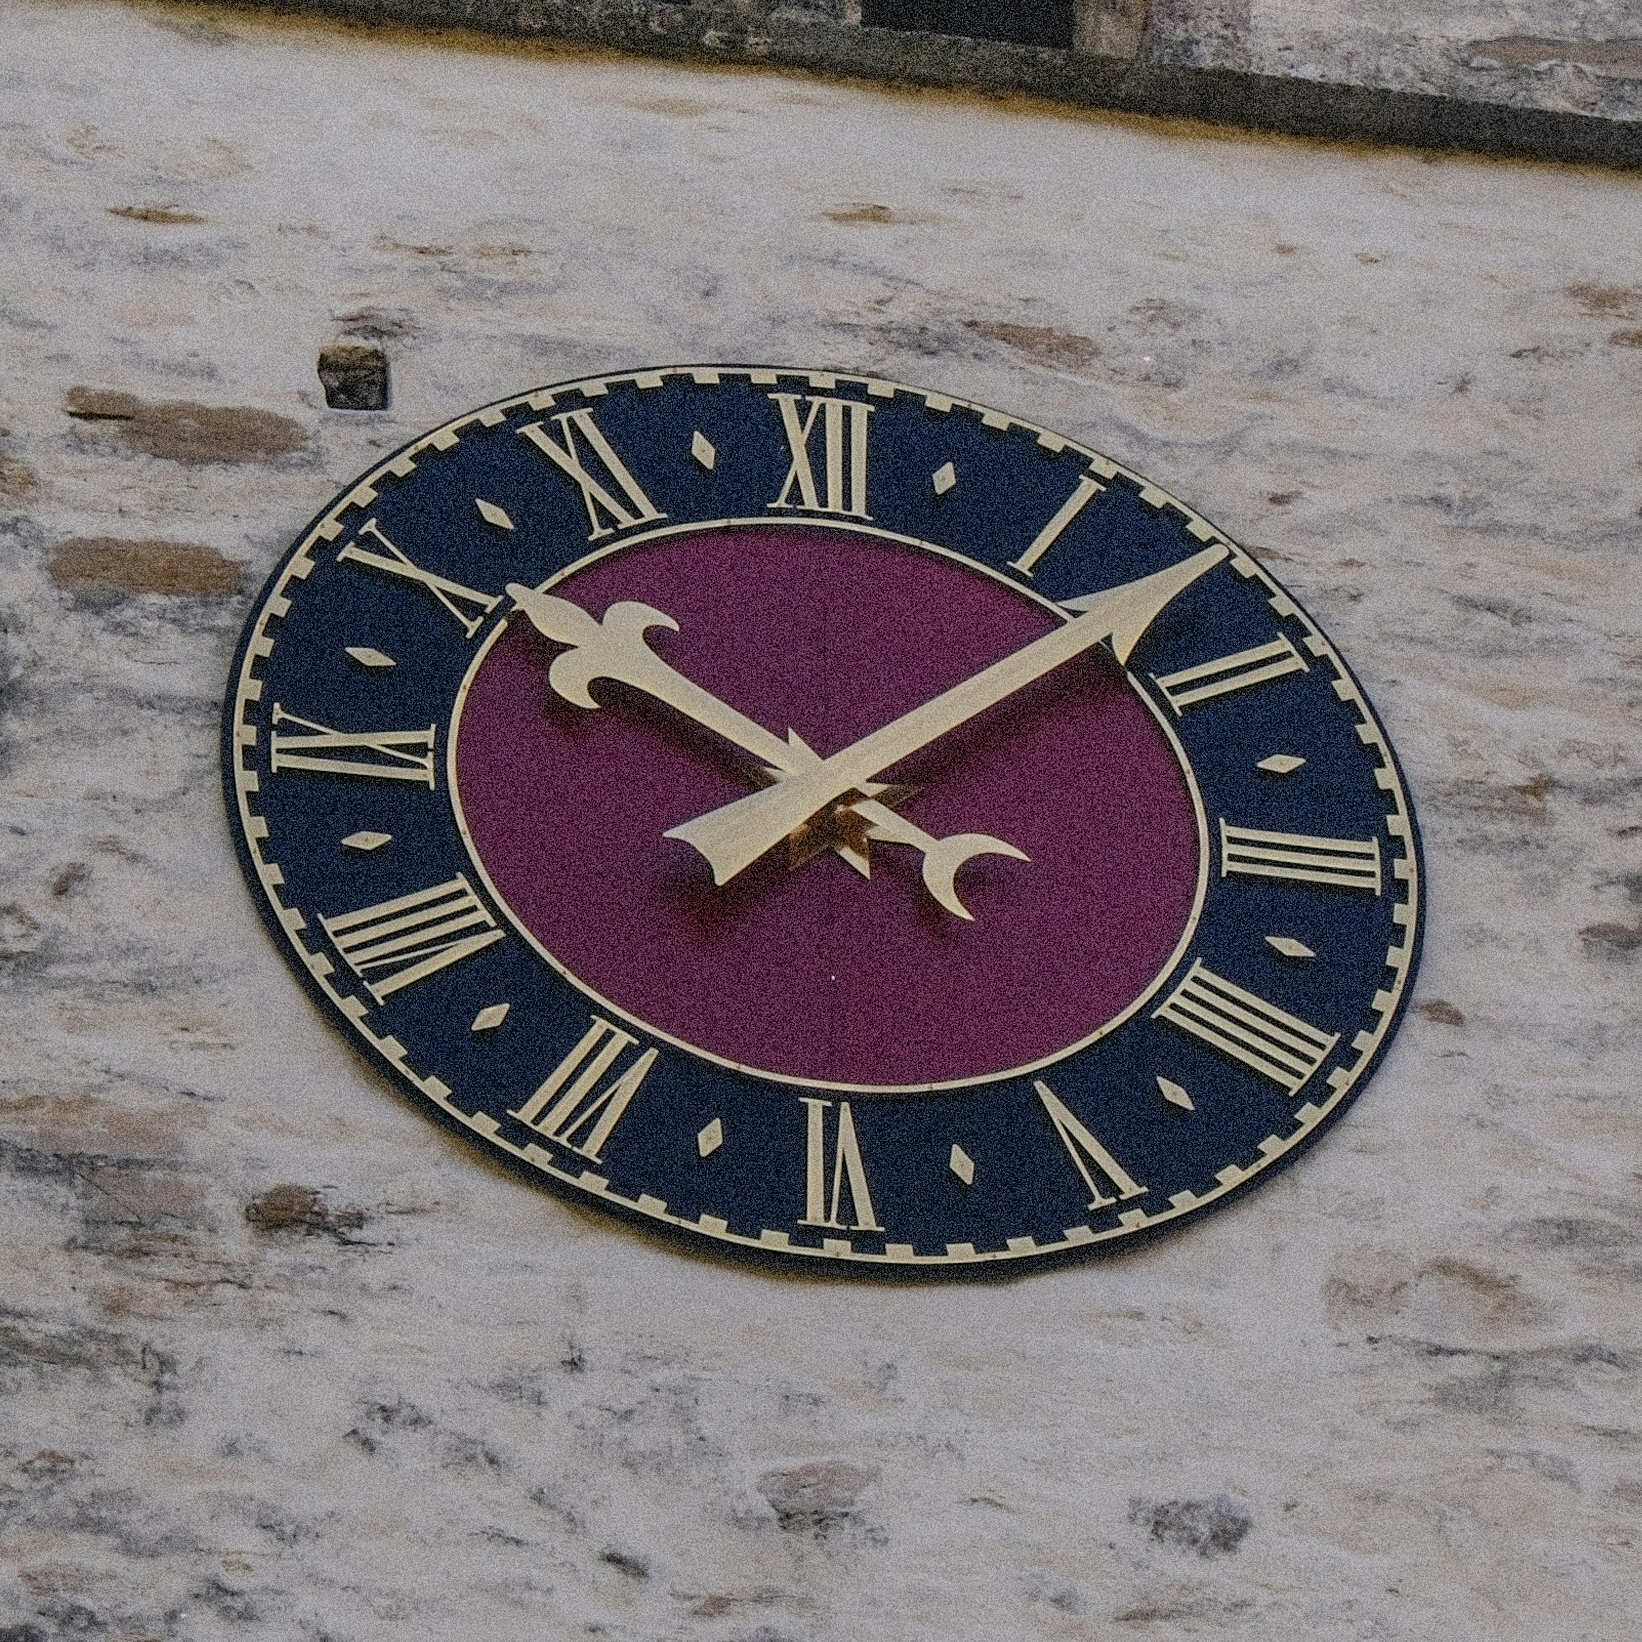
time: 10:07
